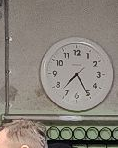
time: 7:25
